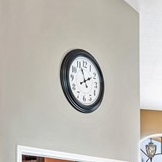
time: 1:56
